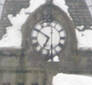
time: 6:50
